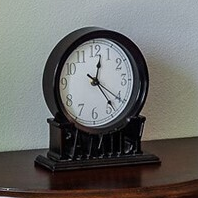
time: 12:23
